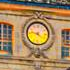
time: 9:22
